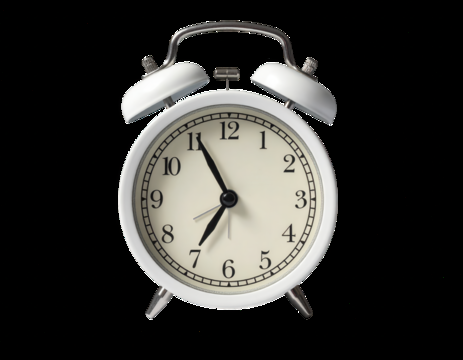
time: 6:55
